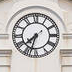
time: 7:32
